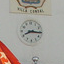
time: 8:15
